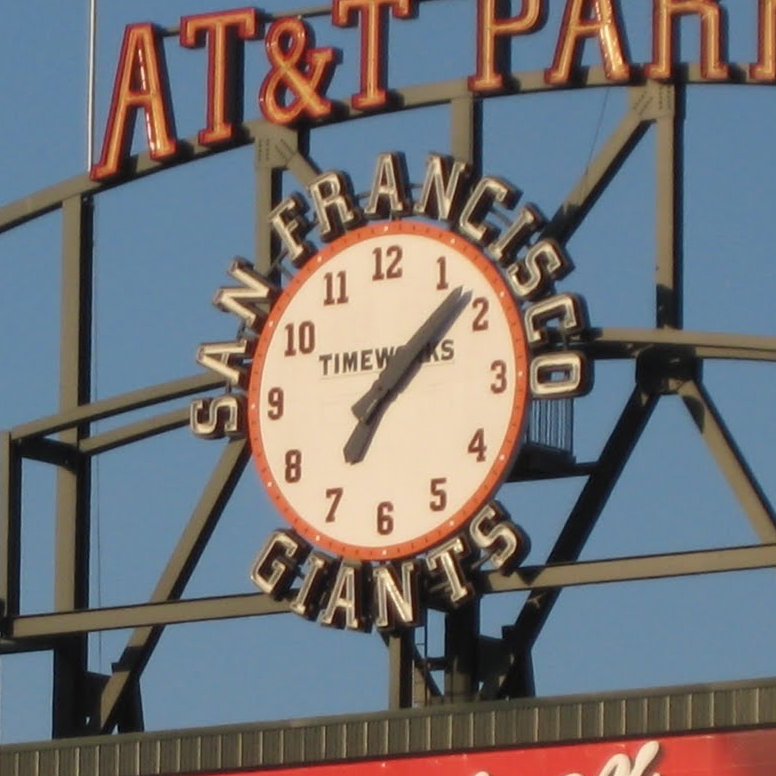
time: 7:08
